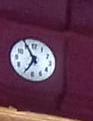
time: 6:55
